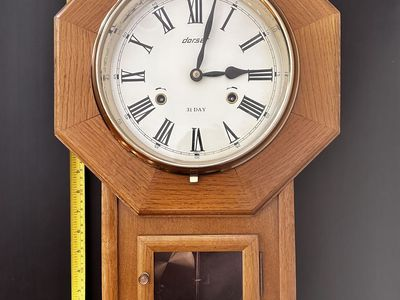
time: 3:02
